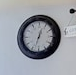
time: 12:32
